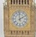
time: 1:59
